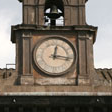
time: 12:16
